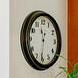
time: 11:31
